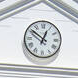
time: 12:51
